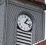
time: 1:18
